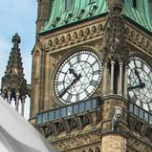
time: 10:39
